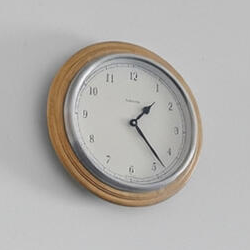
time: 1:23
